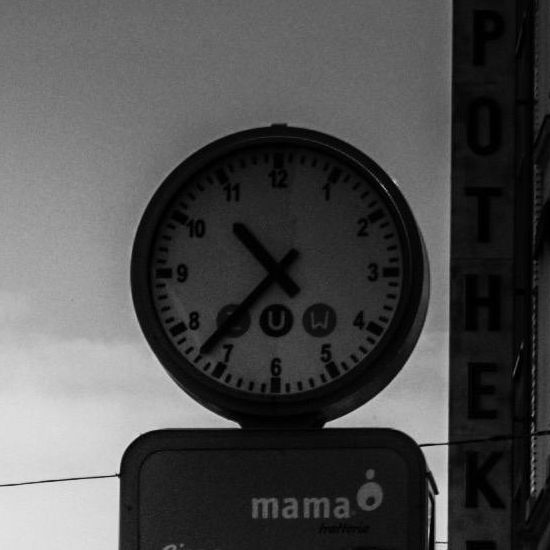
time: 10:37
